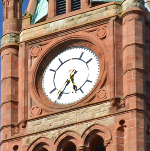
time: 5:35
